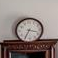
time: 3:34
